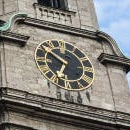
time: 6:50
